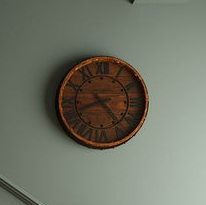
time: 8:23
